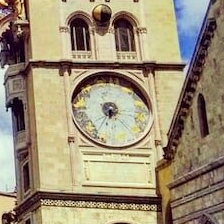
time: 6:35
